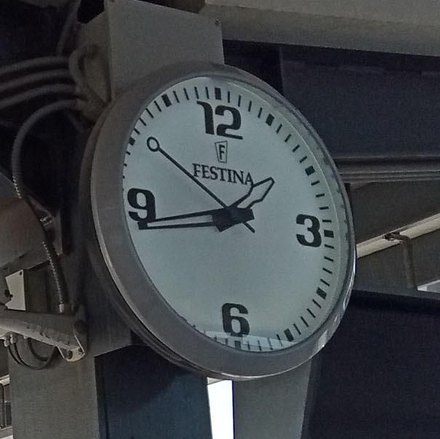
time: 1:50
